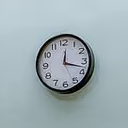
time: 12:17
